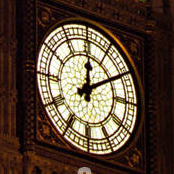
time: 12:09
